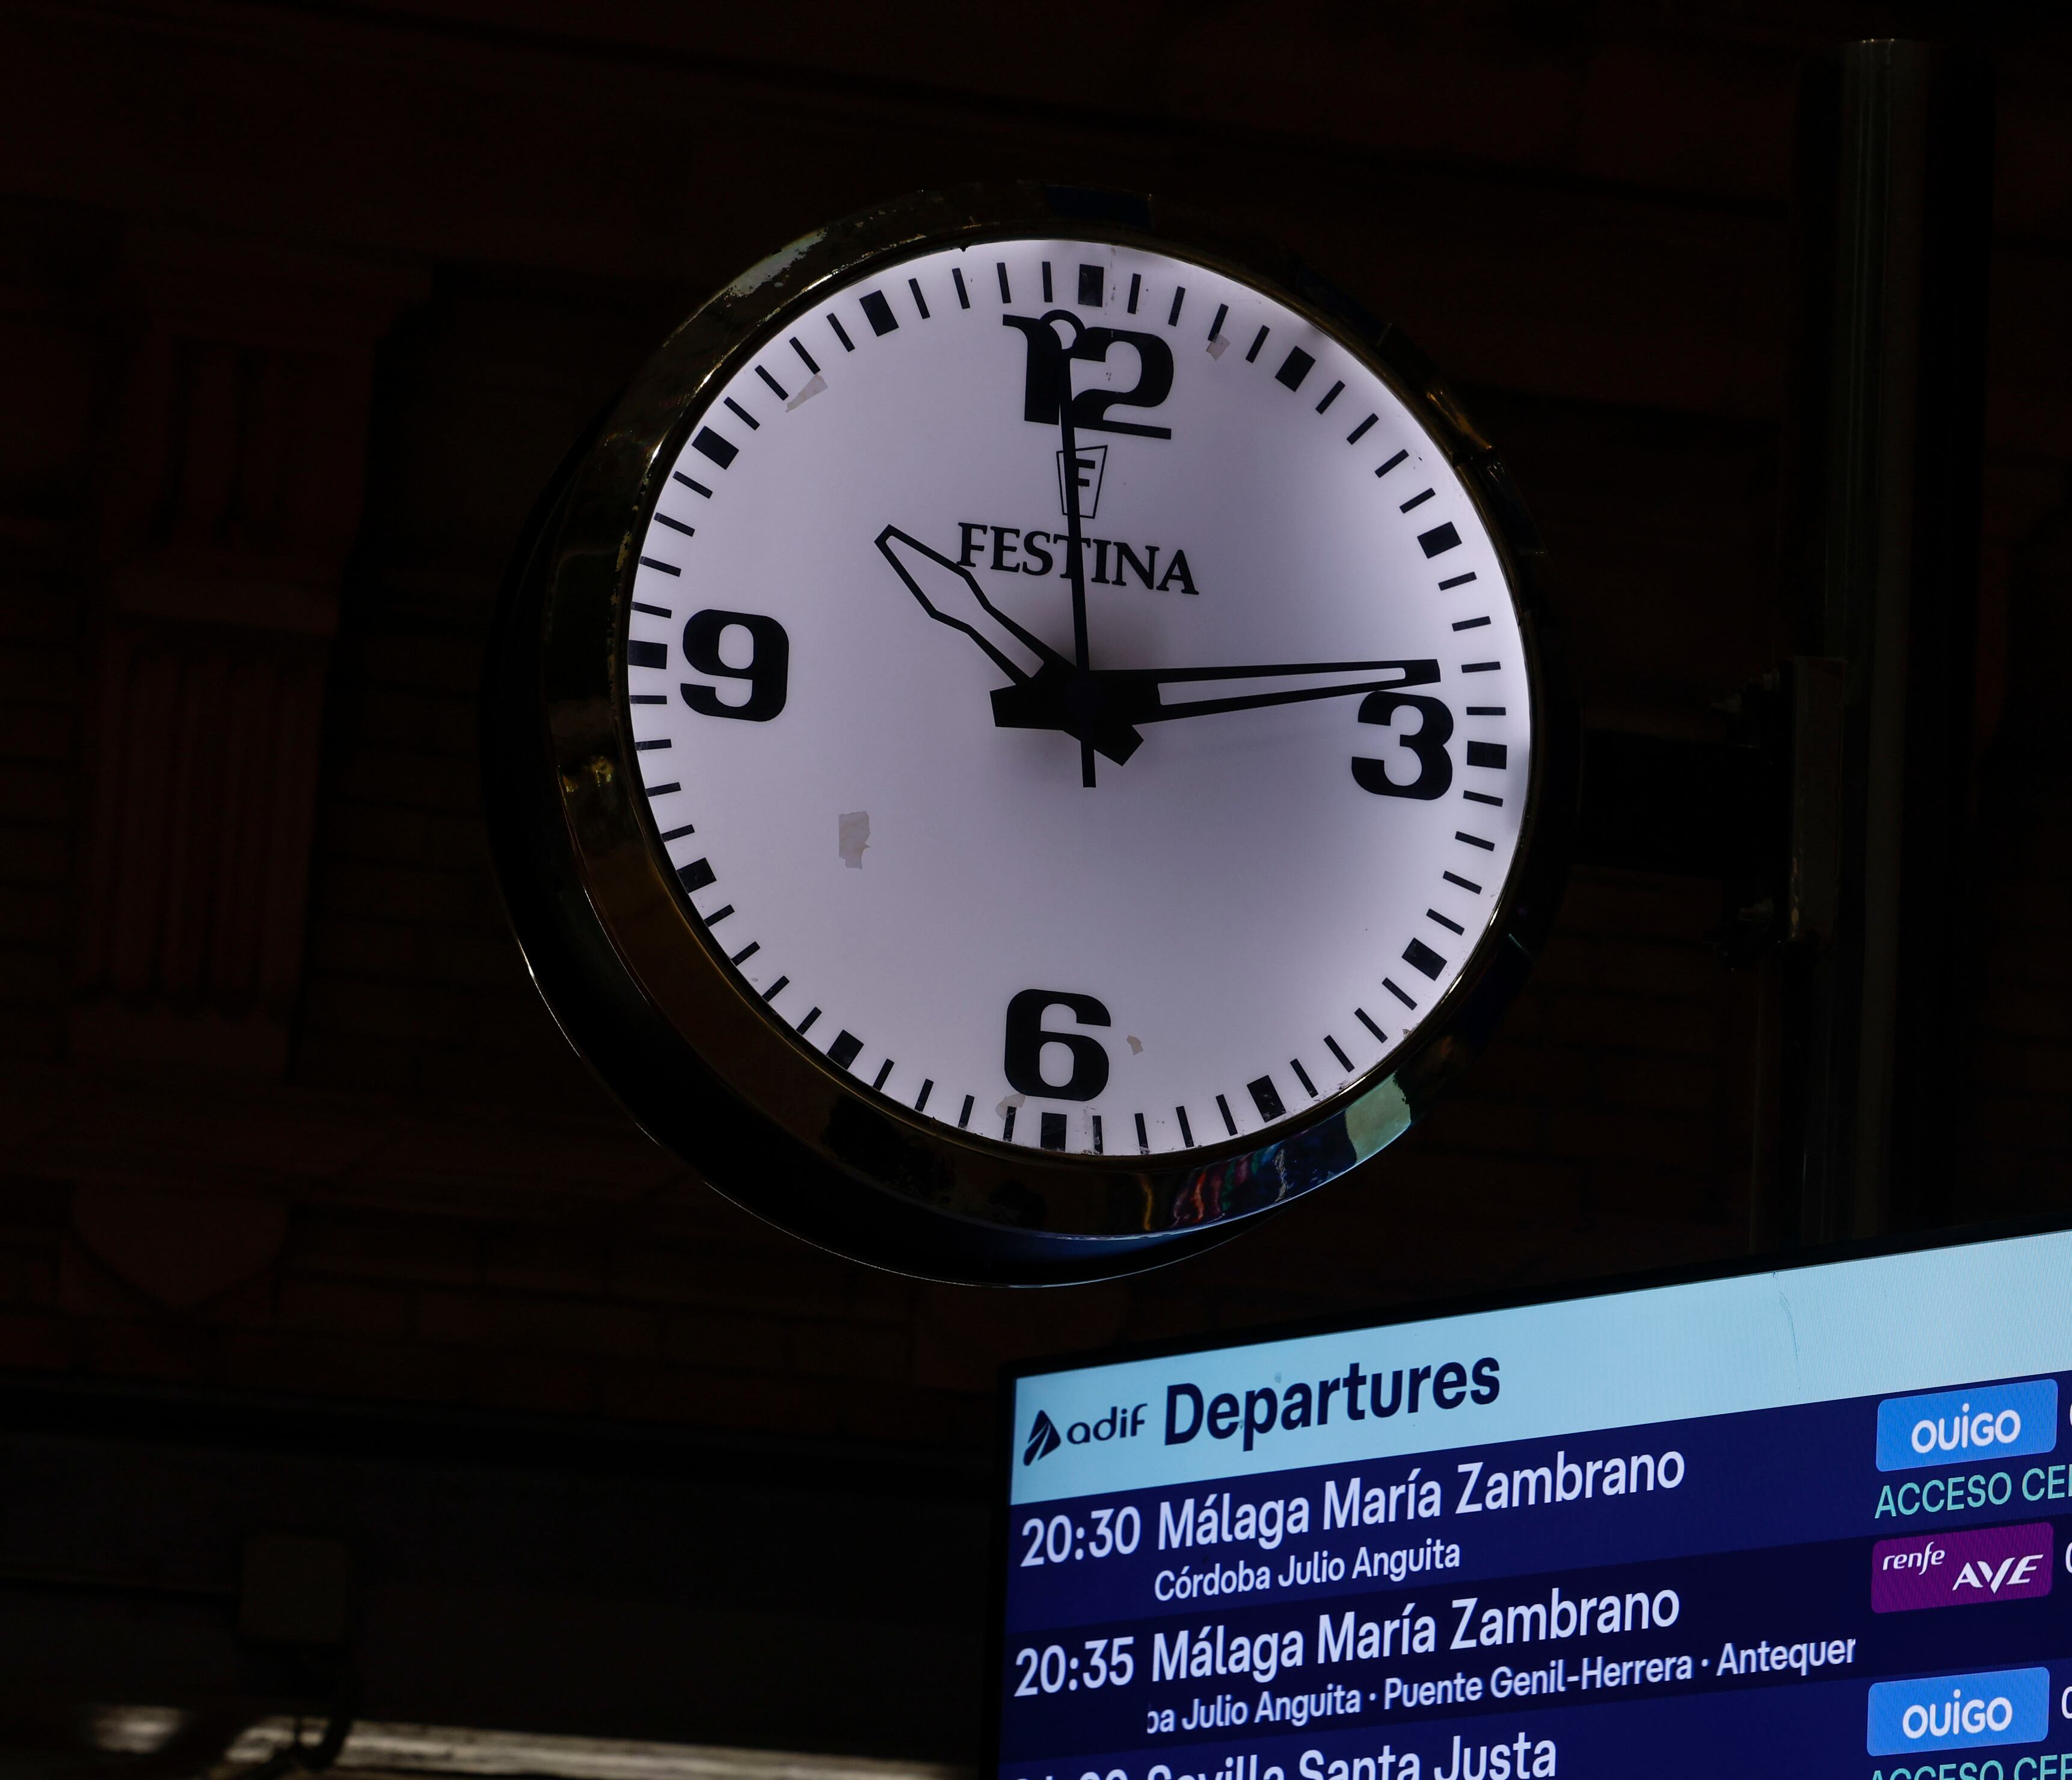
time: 10:13
